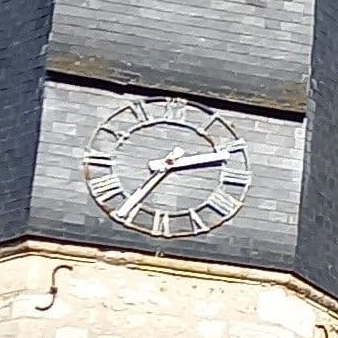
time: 2:35
